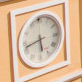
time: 5:42
